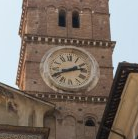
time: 2:40
